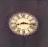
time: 8:16
